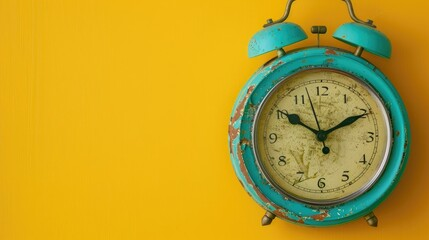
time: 1:50
